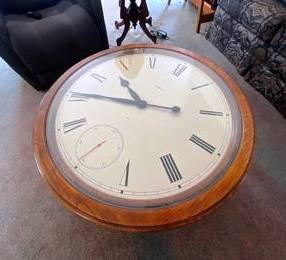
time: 10:45
